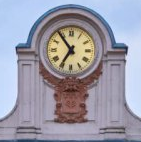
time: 6:54
